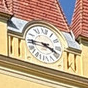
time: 3:44
